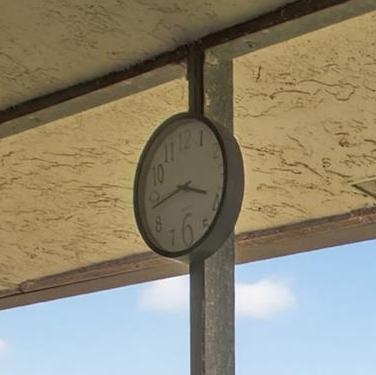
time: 3:43
